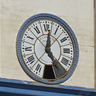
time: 12:23
